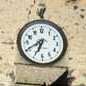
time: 6:40
